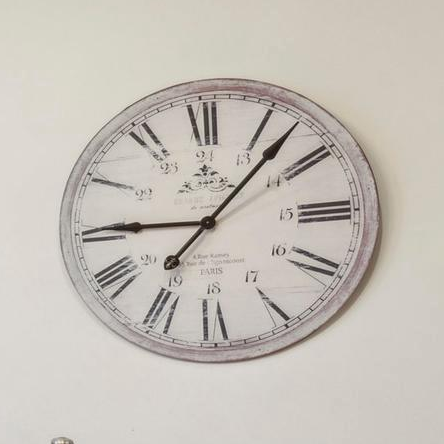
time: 9:07
